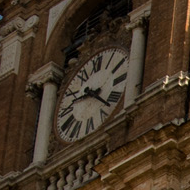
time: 9:22
